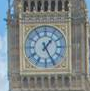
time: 1:25
